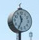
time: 11:33
